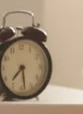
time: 7:28
